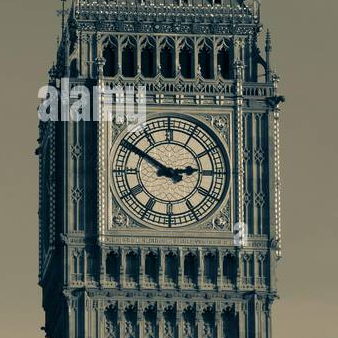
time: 2:50
